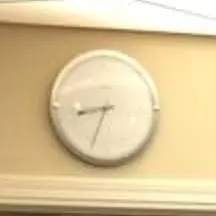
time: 8:33
